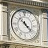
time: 10:22
